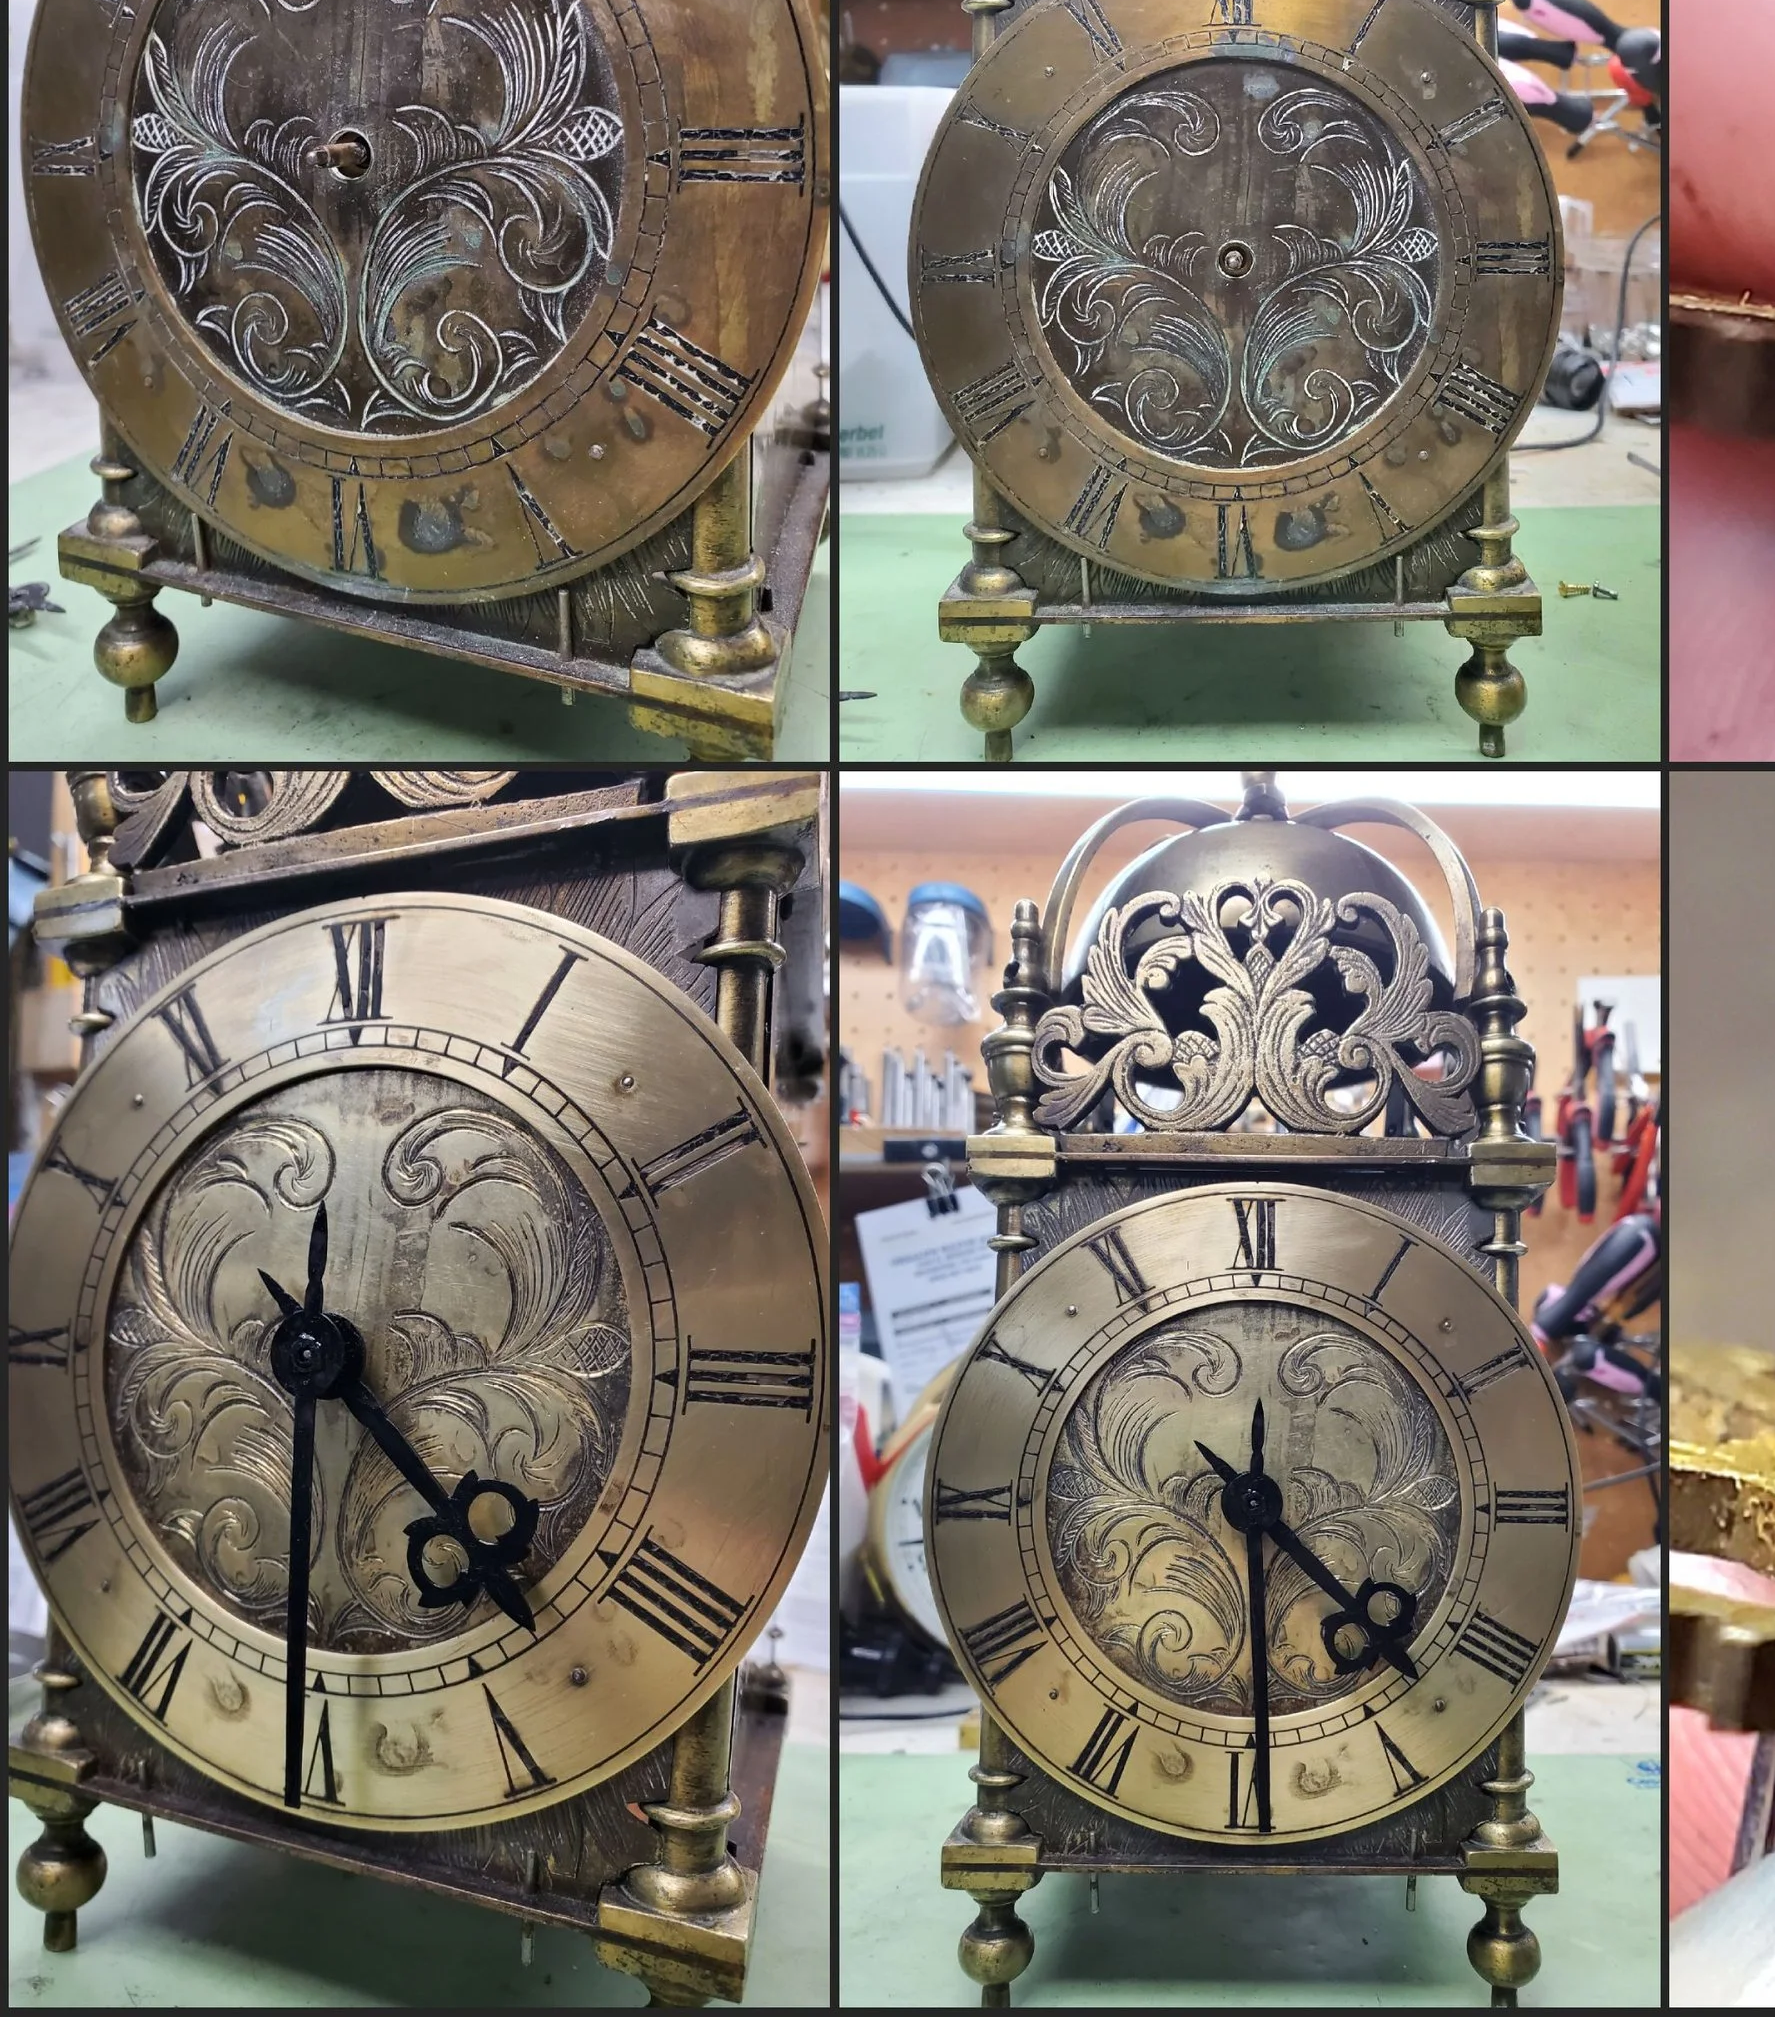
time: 4:30
